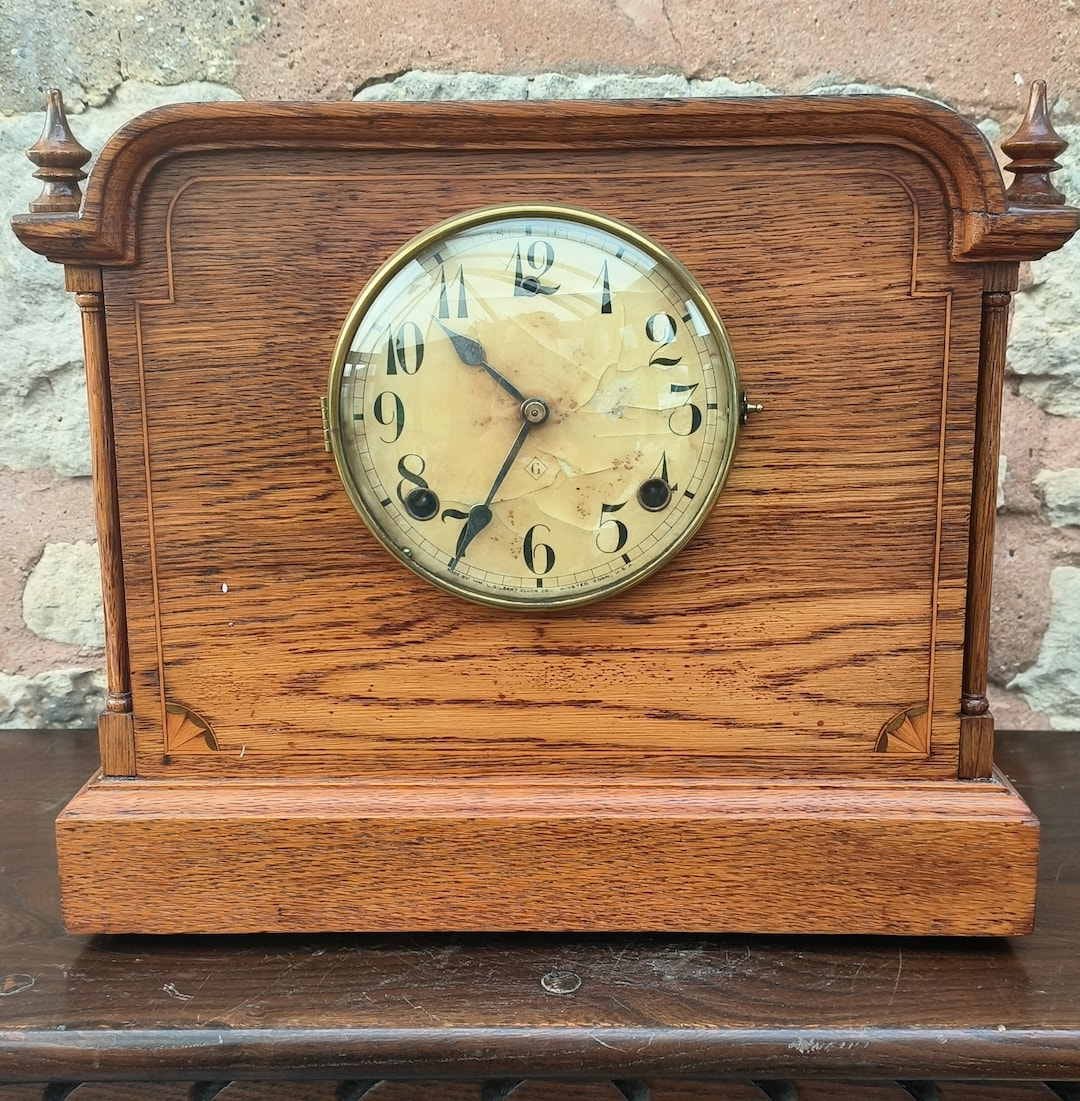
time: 10:34
